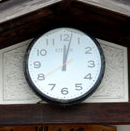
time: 12:02
